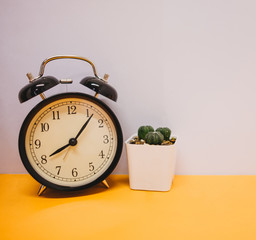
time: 8:06
